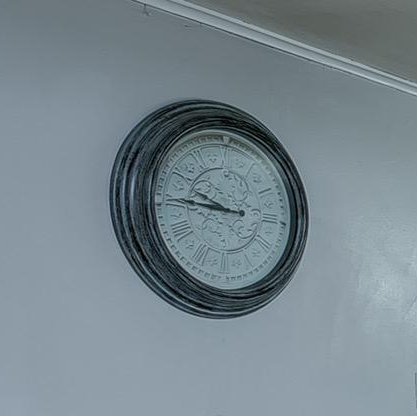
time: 8:45
